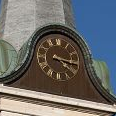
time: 4:16
